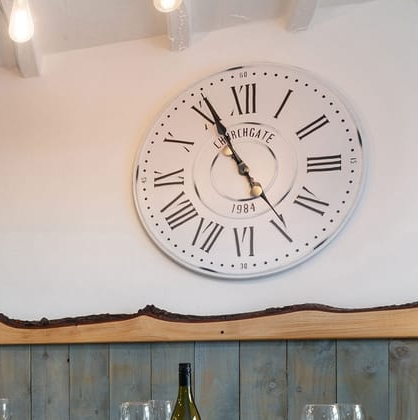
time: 4:55
